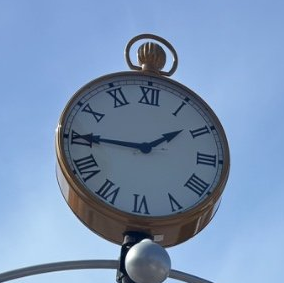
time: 1:45
